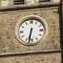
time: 6:32
